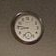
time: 8:46
